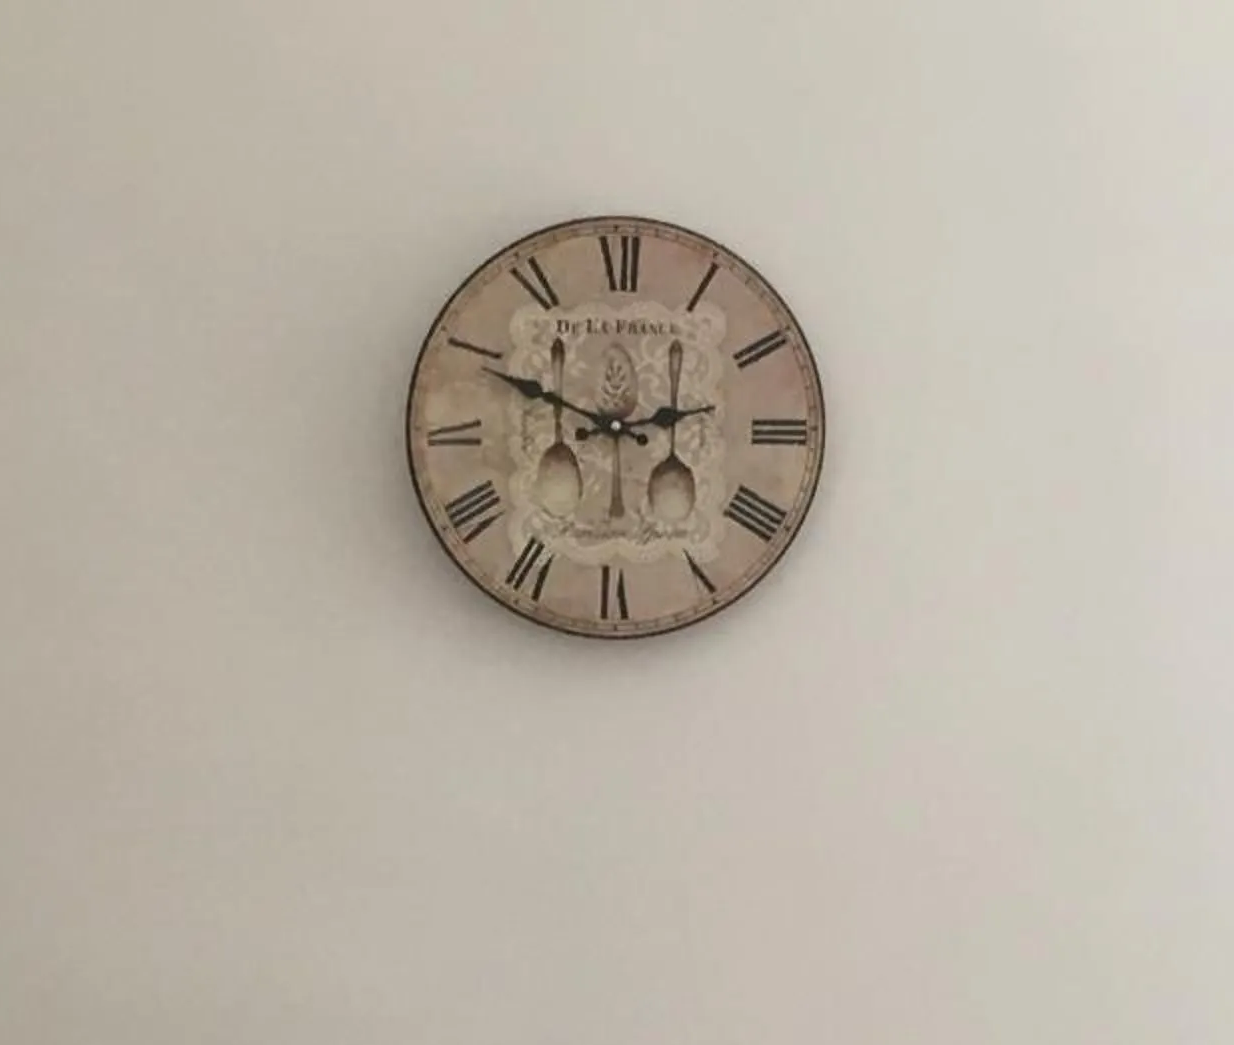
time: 2:49
